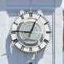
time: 12:46
